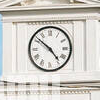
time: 4:51
